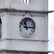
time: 11:14
